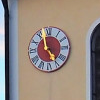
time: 4:57
